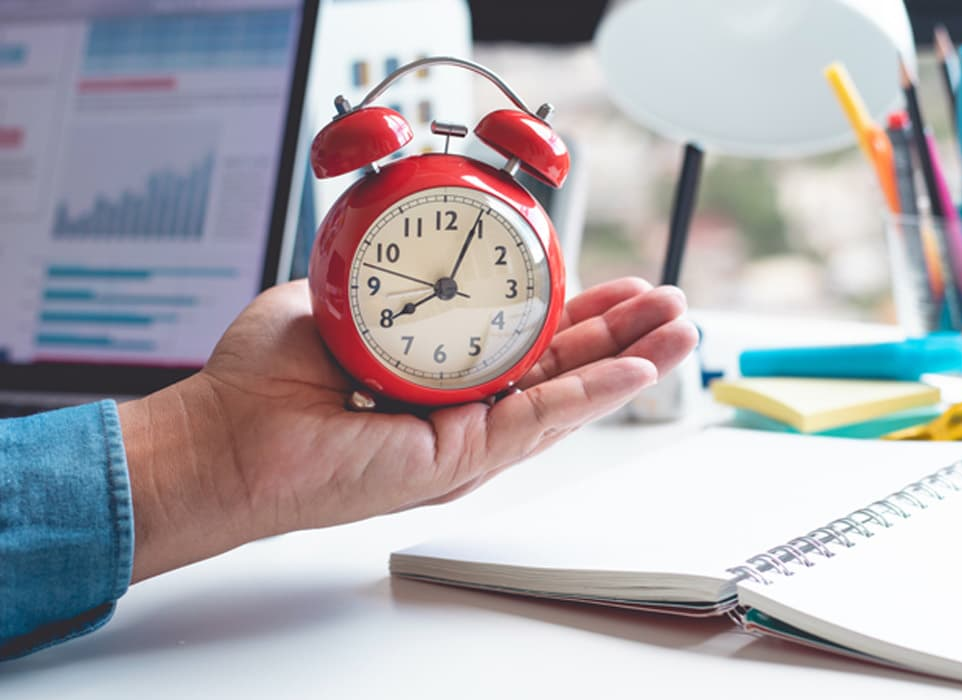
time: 8:04
